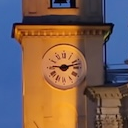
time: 9:12
